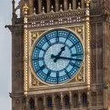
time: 1:17
